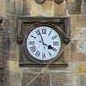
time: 3:56
